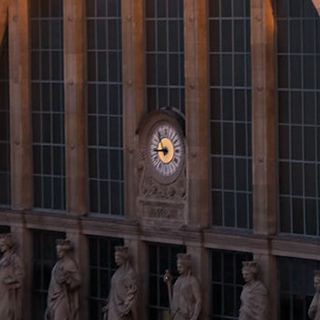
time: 10:45
